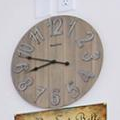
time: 8:48
